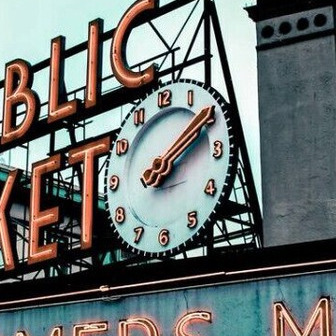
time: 2:09
